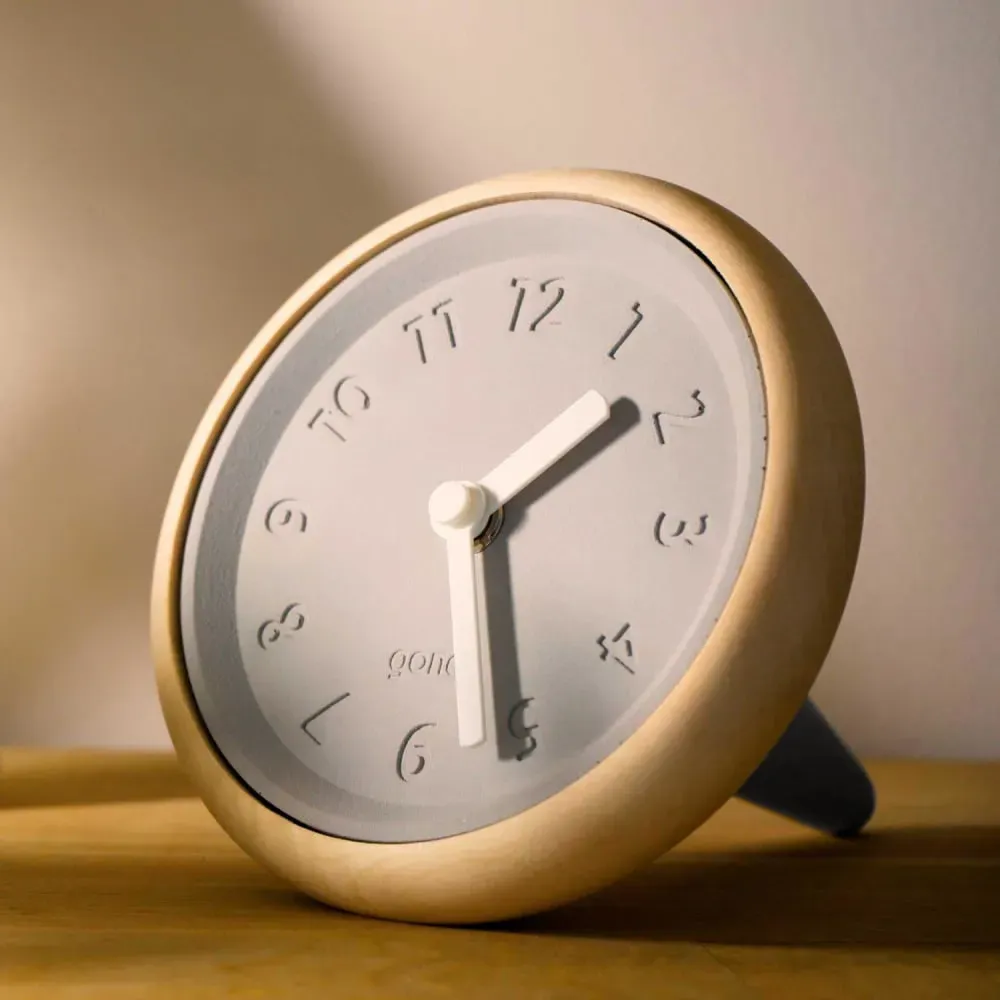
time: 1:25
